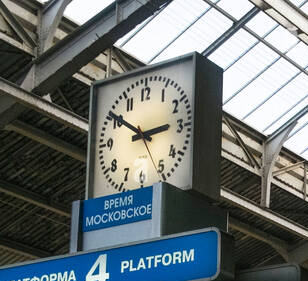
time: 2:50
